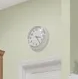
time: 3:24
